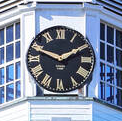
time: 1:48
